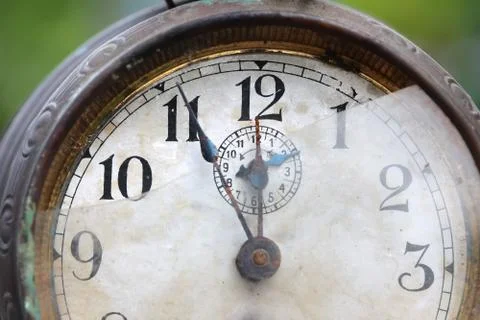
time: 11:55
